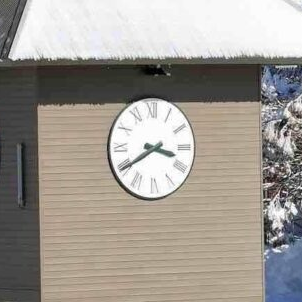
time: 3:39
